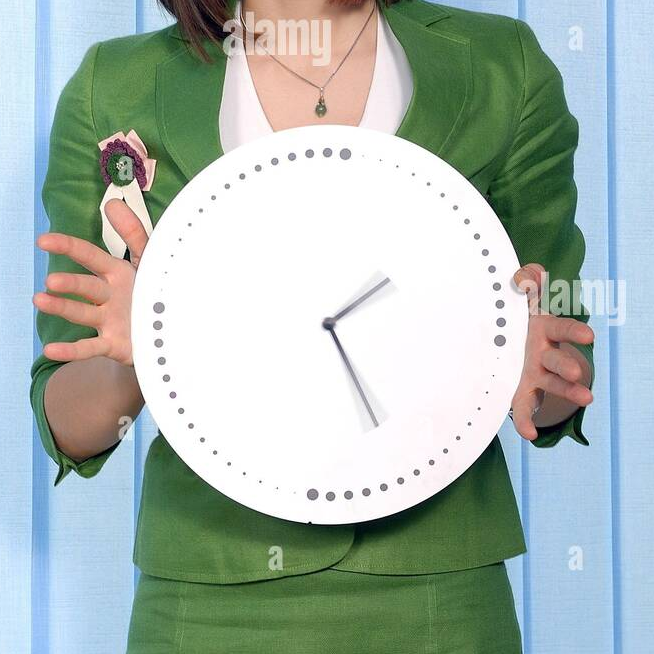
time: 1:24
